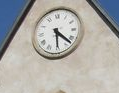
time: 4:29
